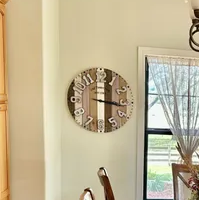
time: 12:16
